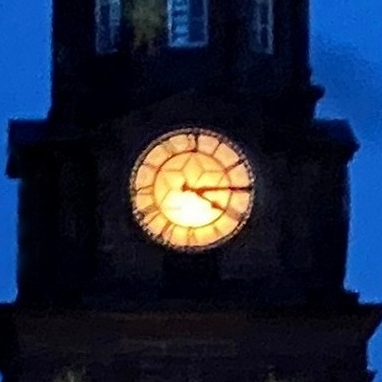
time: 4:14
